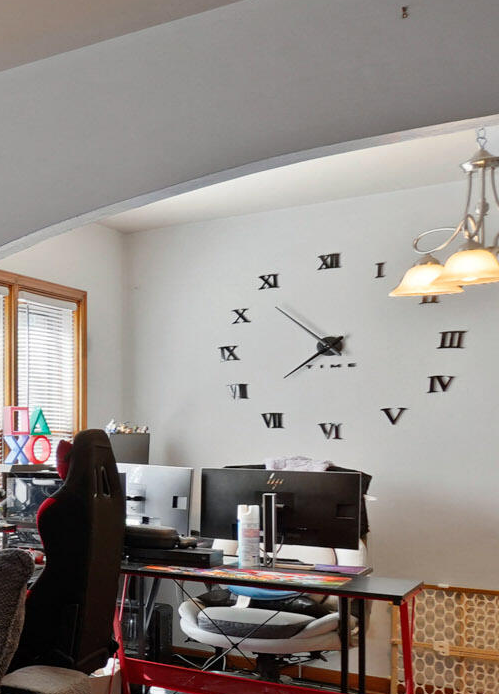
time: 7:53
